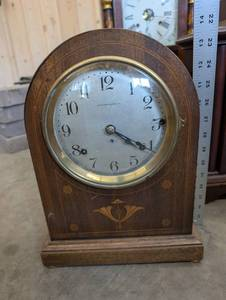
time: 4:20
